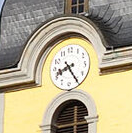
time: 8:24
